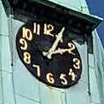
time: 2:04
